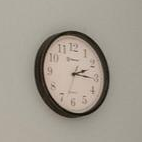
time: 2:15
